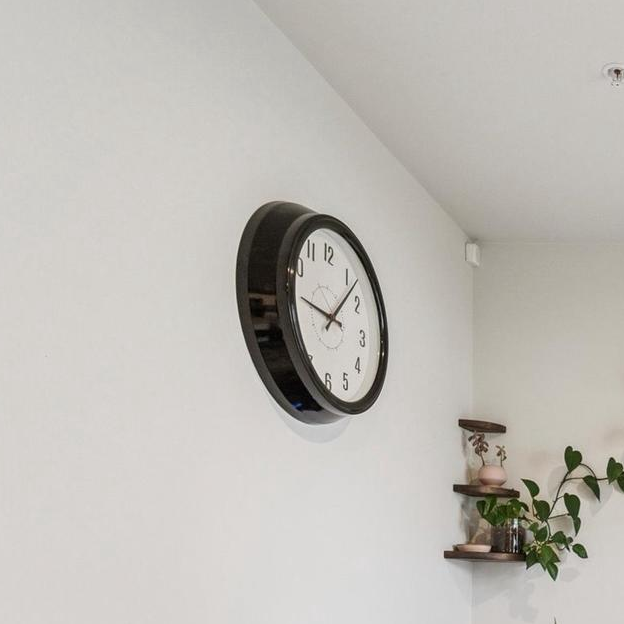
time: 9:07
